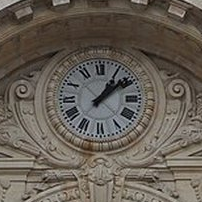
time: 1:08
